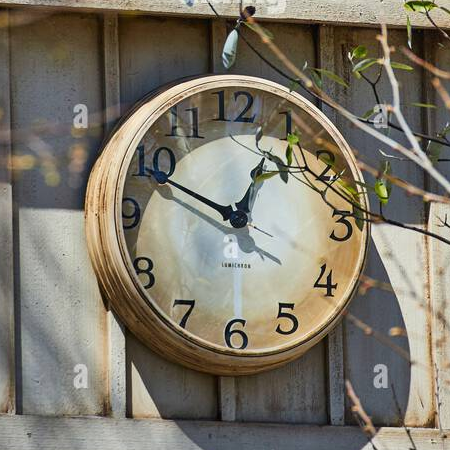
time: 12:49
